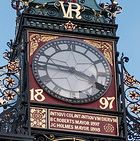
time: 3:46
